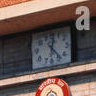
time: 12:23
